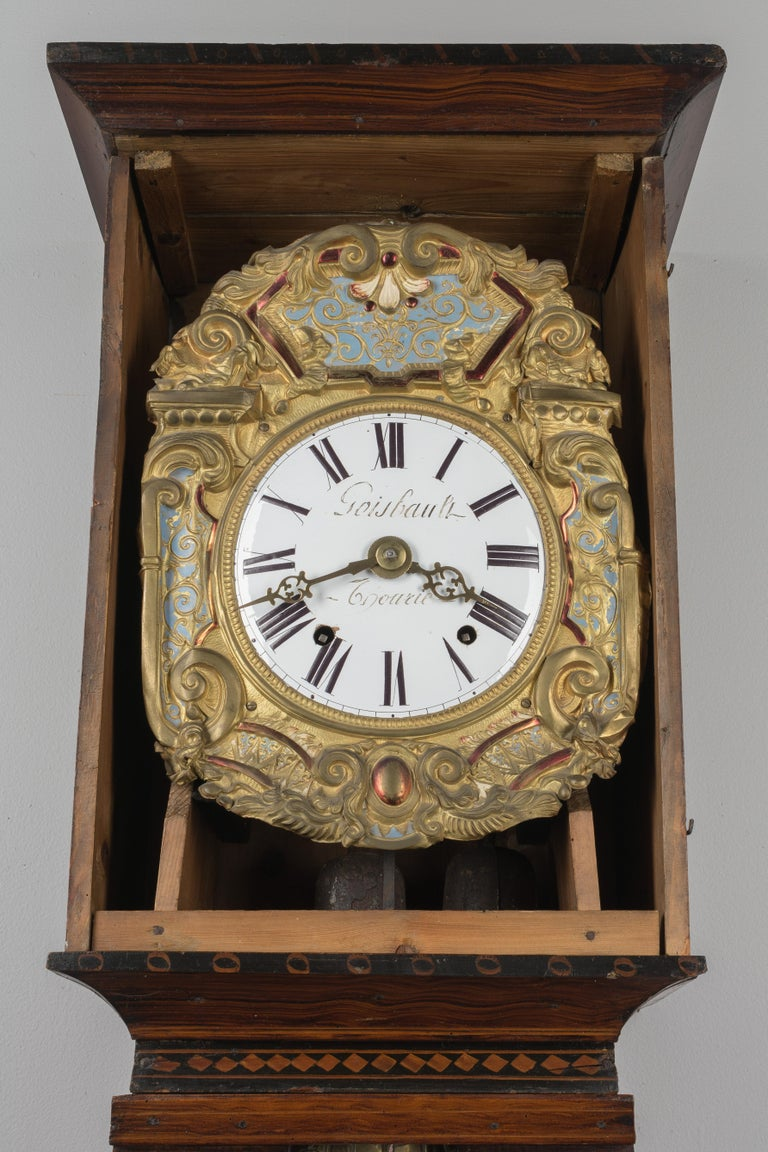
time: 3:40
